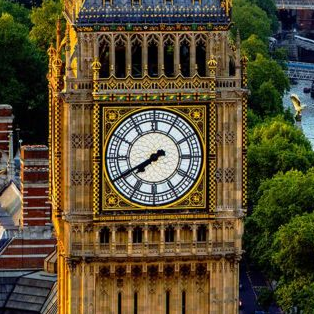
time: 7:40
